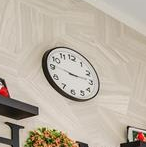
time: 2:46
